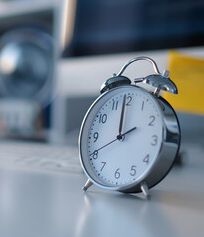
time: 11:59
